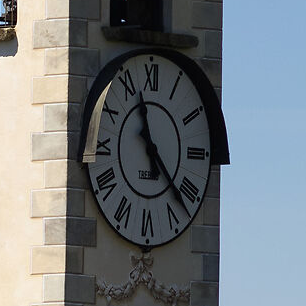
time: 11:22
